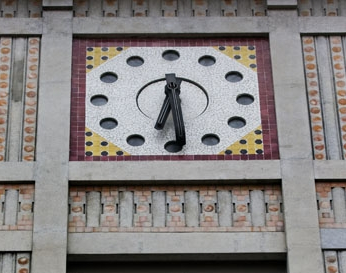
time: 6:29
